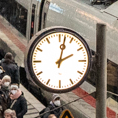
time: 2:02
